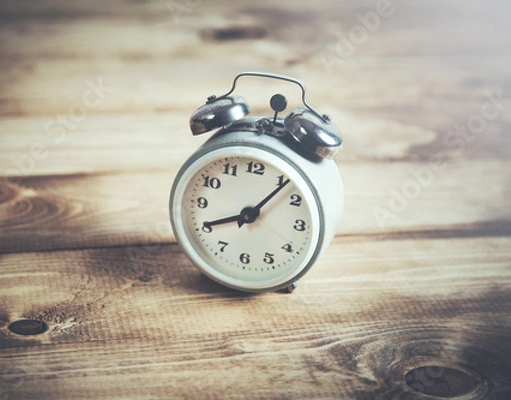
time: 8:06
